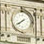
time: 7:39
